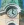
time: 4:01
